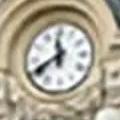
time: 11:40
